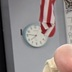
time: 7:46
